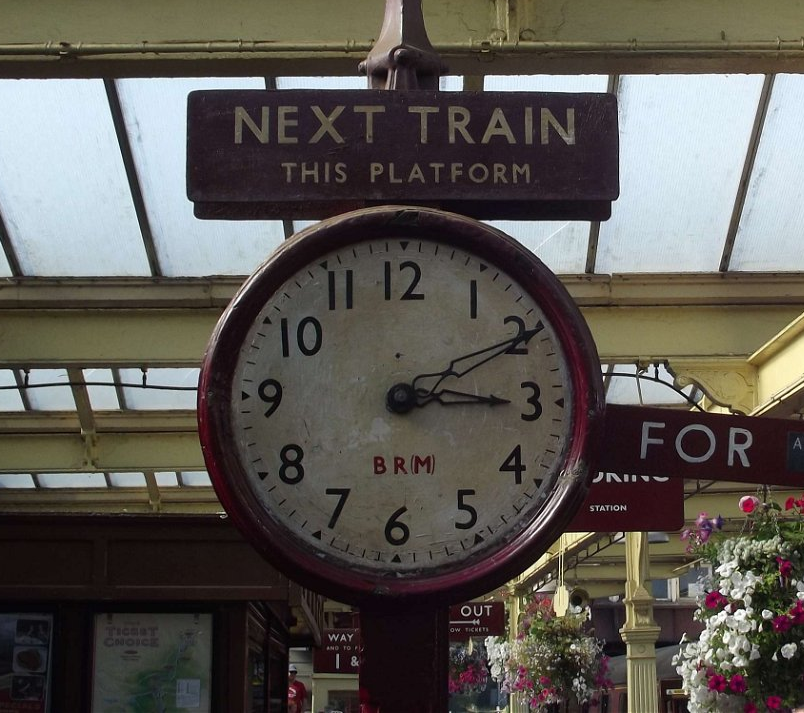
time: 3:10
